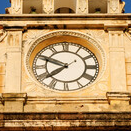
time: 9:38
